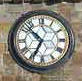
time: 6:52
